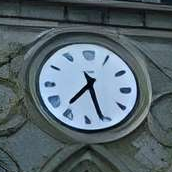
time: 7:26
